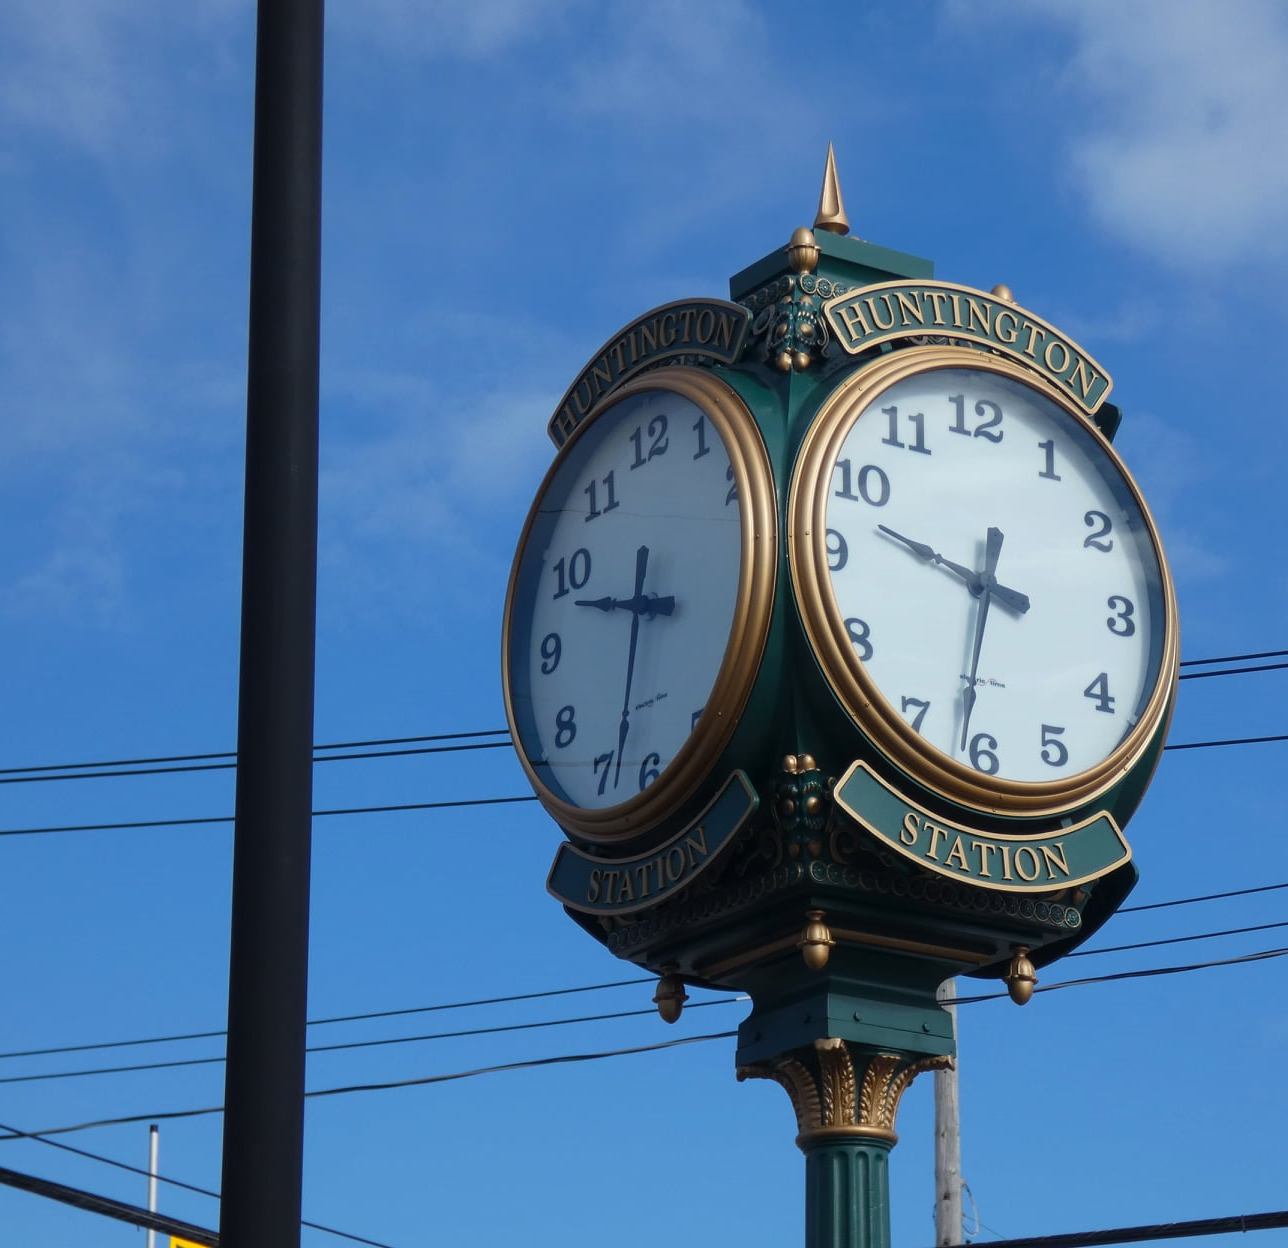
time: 9:32
